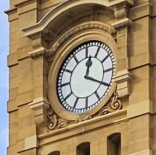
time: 12:20
